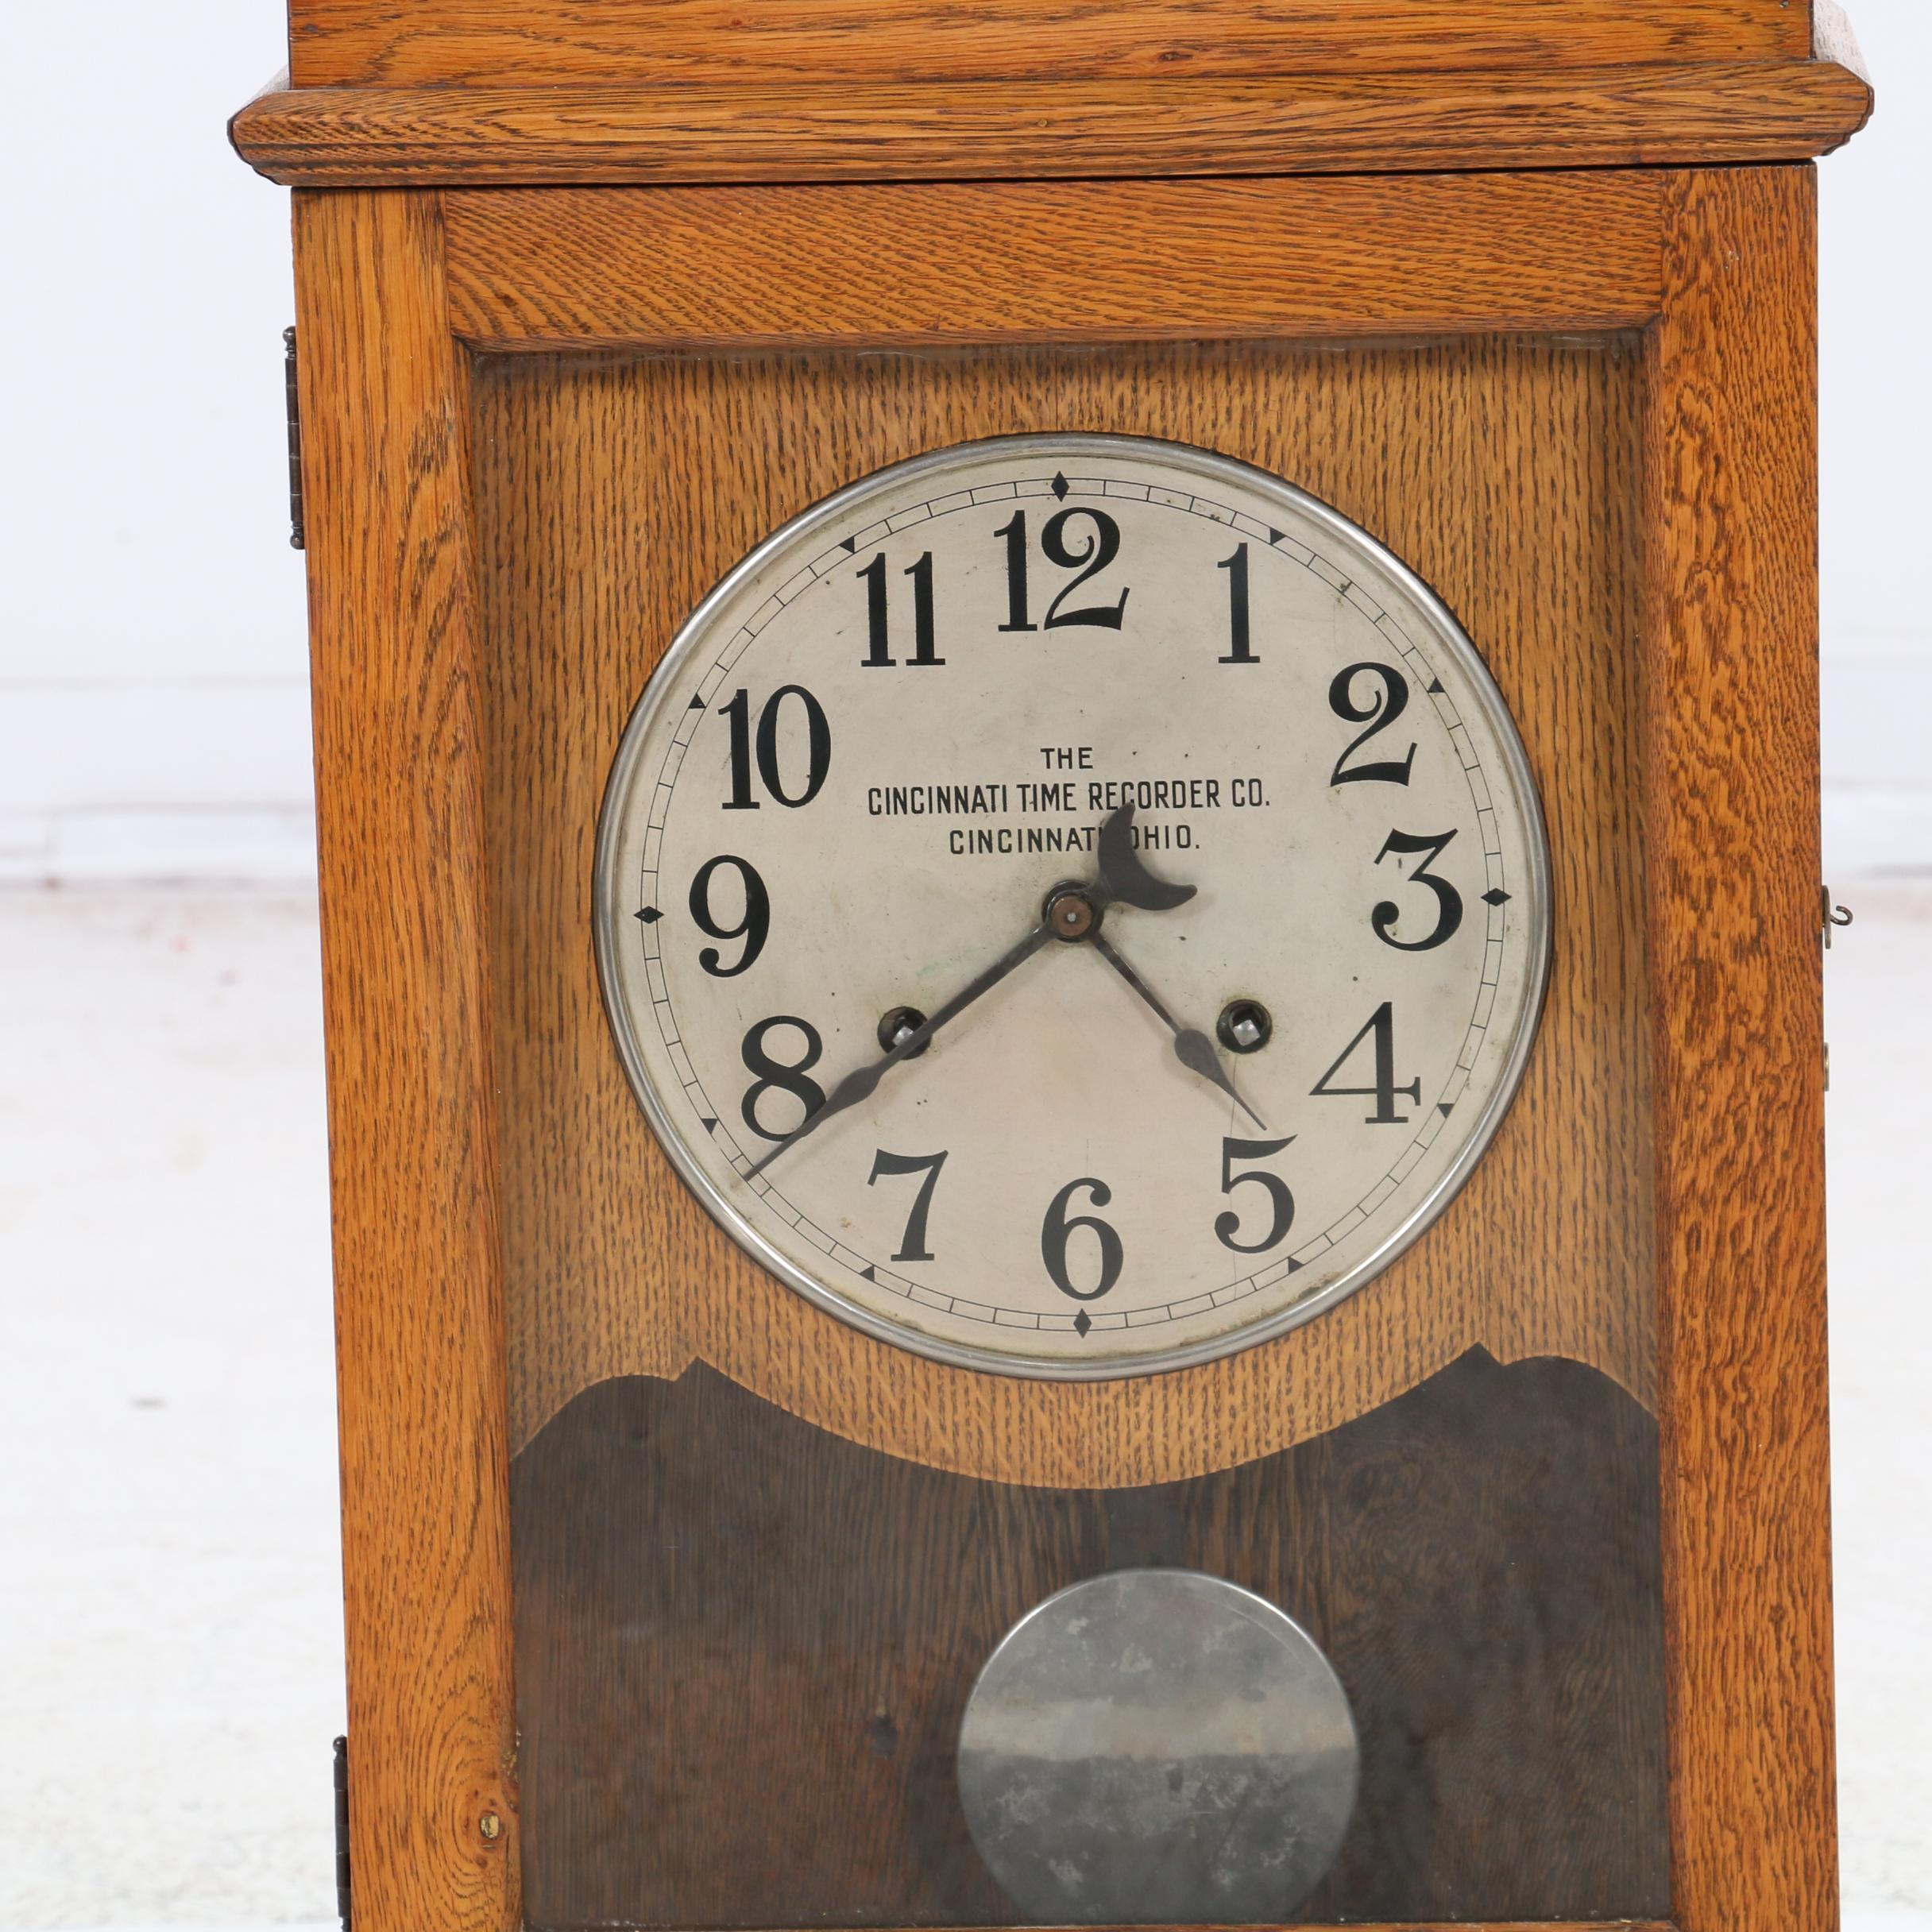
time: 4:38
